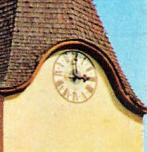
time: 2:59
